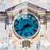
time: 2:38
